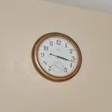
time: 3:17
